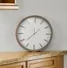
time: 1:37
